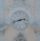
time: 2:42
